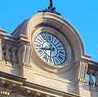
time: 8:32
